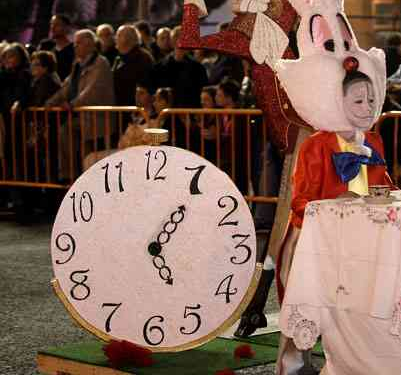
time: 5:05
